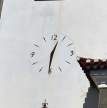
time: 12:30
